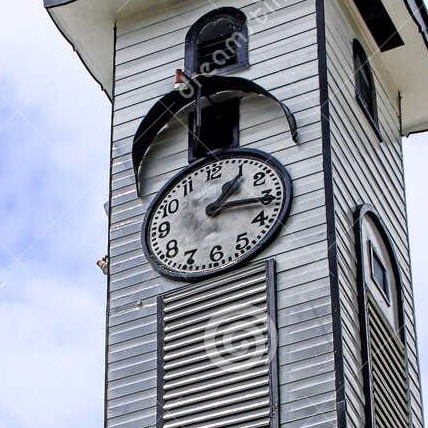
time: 1:16
